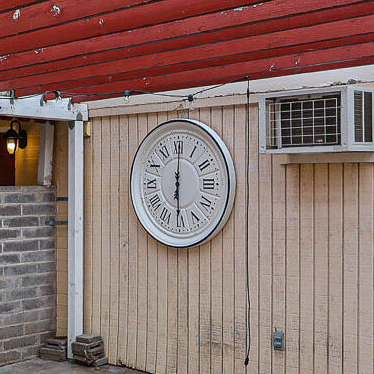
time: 6:00
